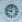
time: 11:47
